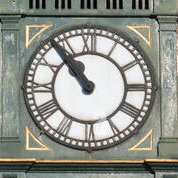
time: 10:53
